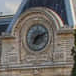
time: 7:11
